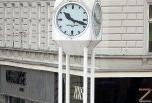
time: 10:17
